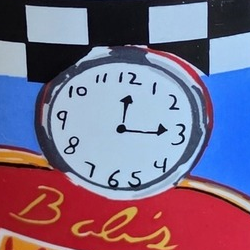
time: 12:14
